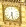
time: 6:28
